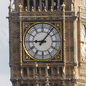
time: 9:06
